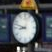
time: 8:47
